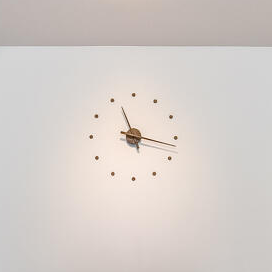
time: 11:17
